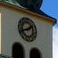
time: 1:41
